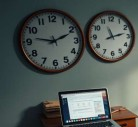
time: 9:11
